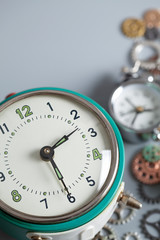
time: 1:25
